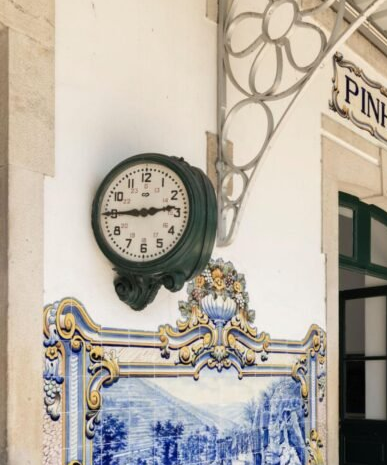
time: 2:45
